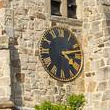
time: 4:12
